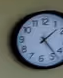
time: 1:23
